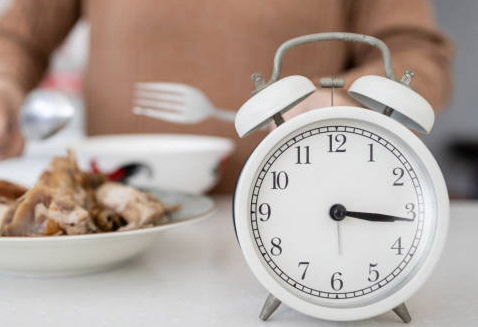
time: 3:15
